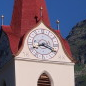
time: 8:19
